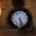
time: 5:26
